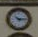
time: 10:14
